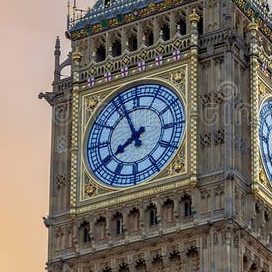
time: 7:55
